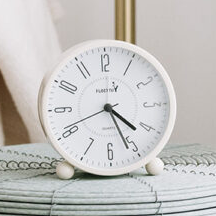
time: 4:26
